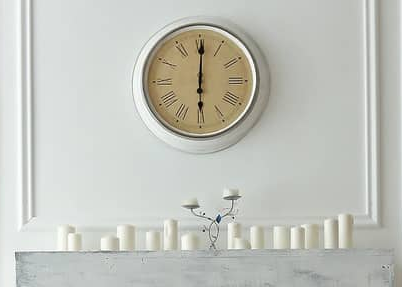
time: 6:00
